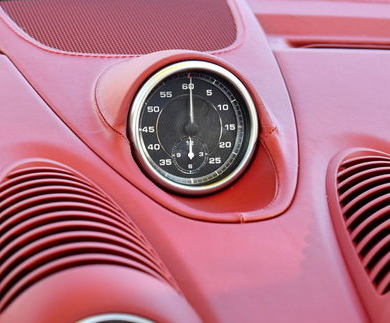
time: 6:00
